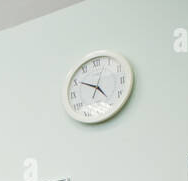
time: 4:50
